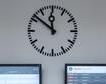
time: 11:51
